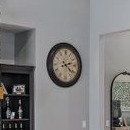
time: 2:22
